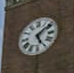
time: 5:08
